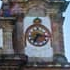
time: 7:15
